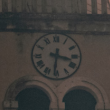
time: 3:31
